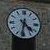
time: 4:31
